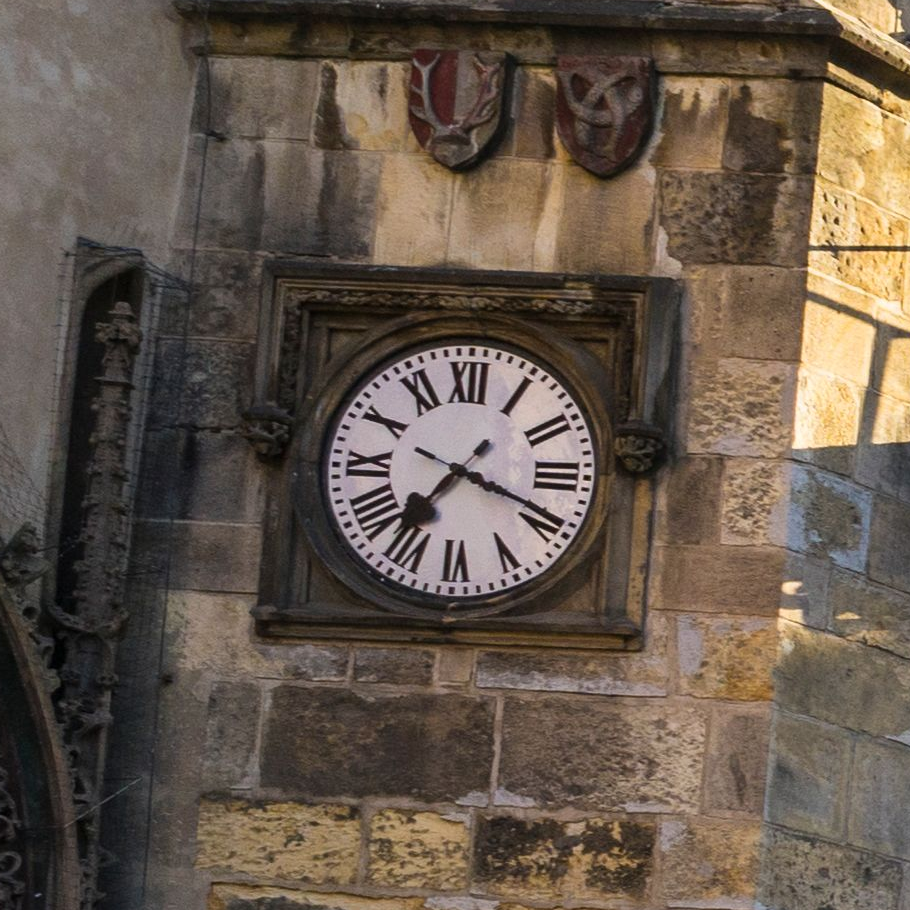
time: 7:18
